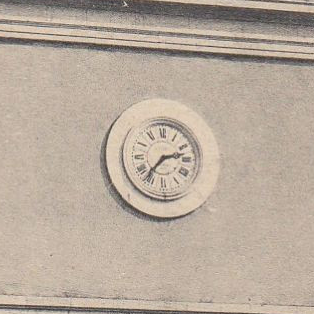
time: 2:36
